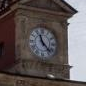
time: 11:23
